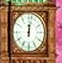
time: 12:02
